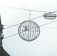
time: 8:12
